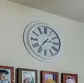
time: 2:36
